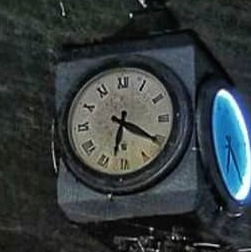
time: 6:20
